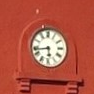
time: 5:43
